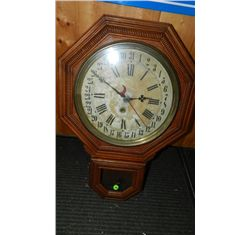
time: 2:49
